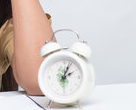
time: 2:04
